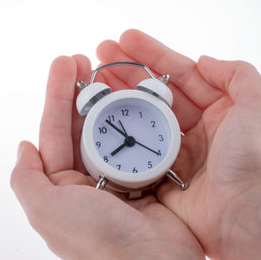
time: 7:53
